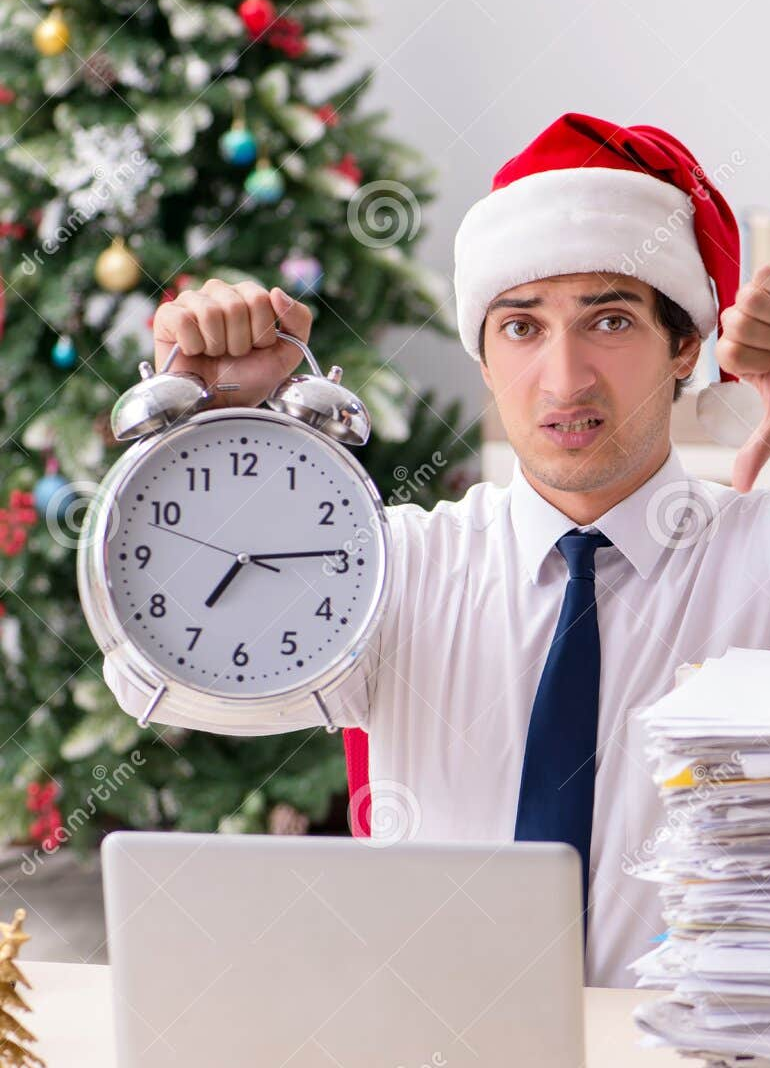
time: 7:14
